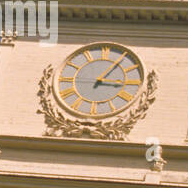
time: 3:05
